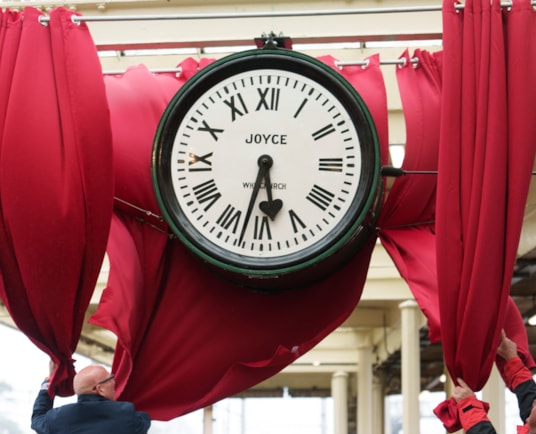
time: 5:32
